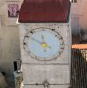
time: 11:50
